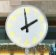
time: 1:59
